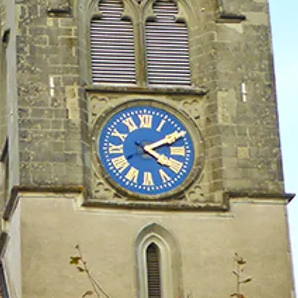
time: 4:10
